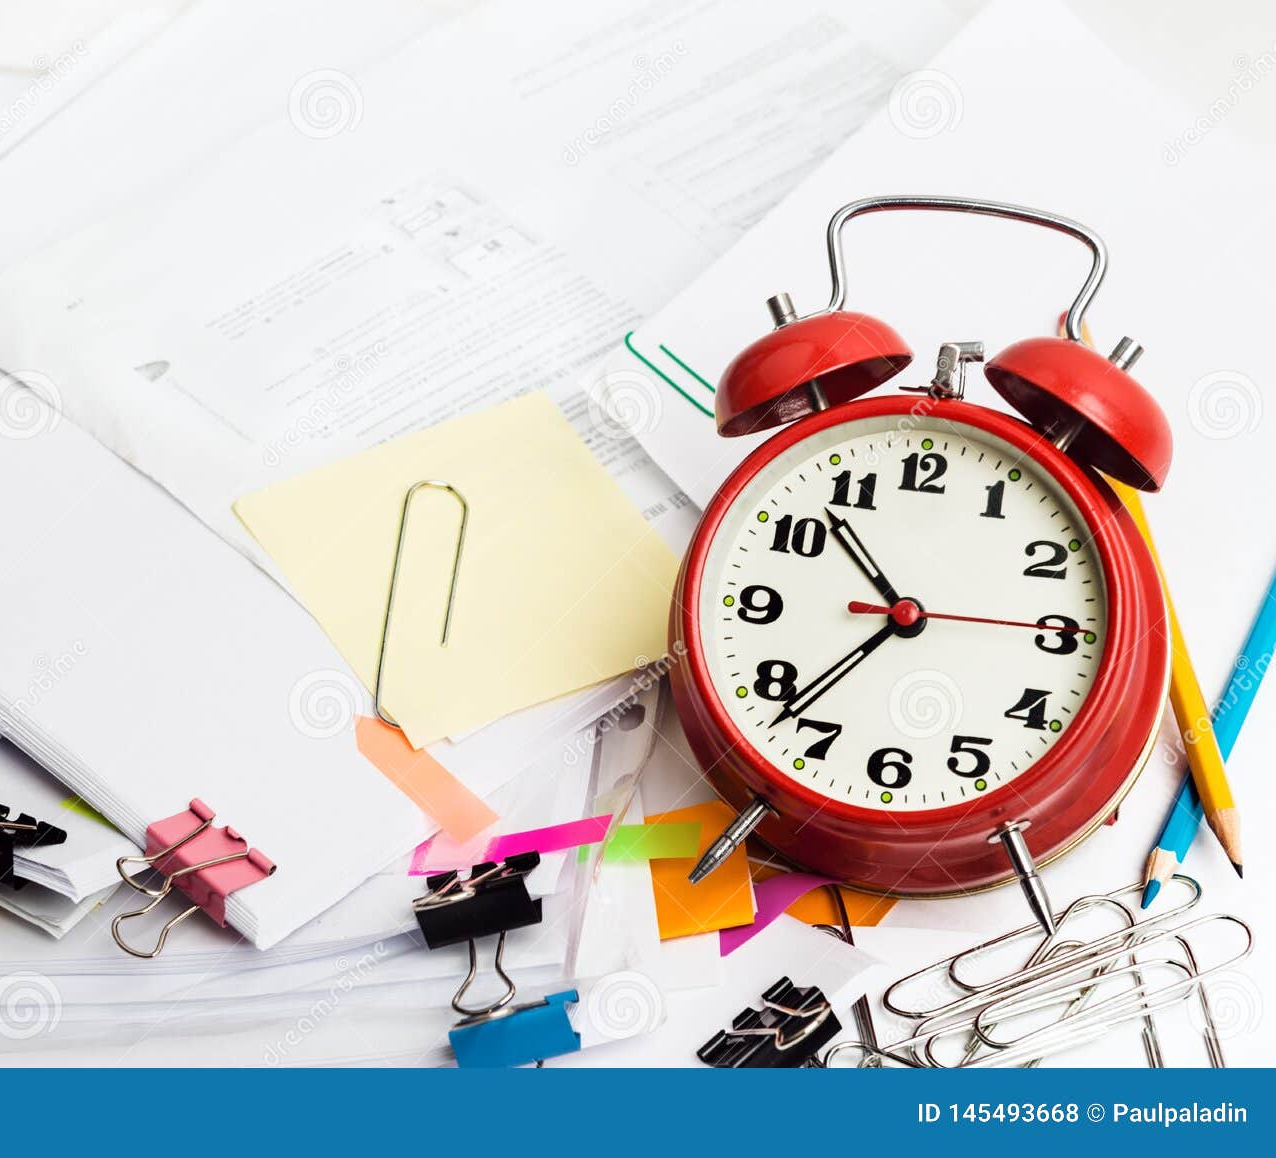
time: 10:37
